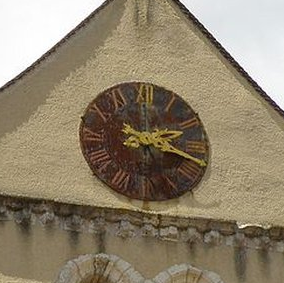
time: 2:18
